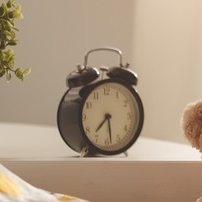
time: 7:28
